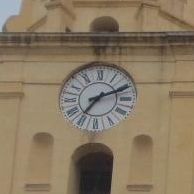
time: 7:11
